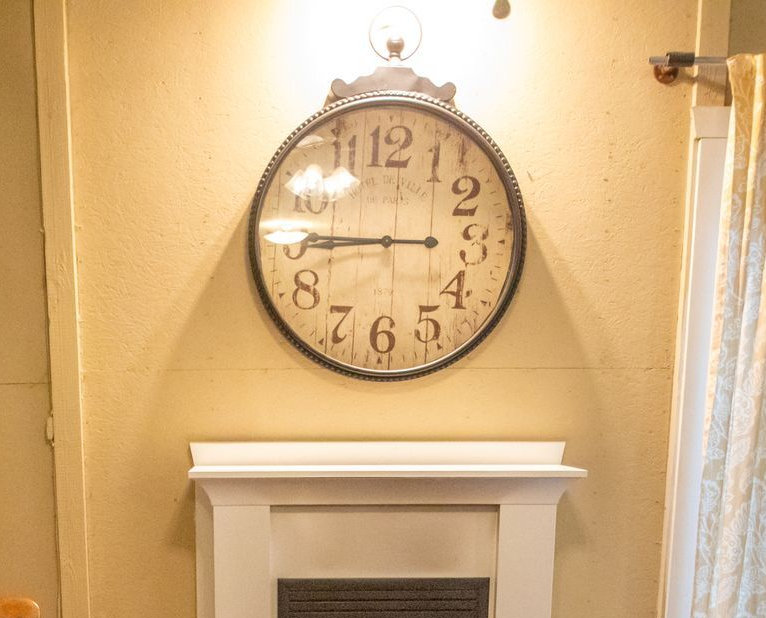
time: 8:45
